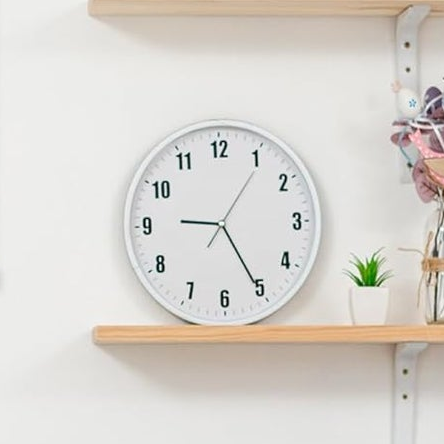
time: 9:25
